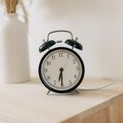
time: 6:30
